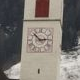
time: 2:52
